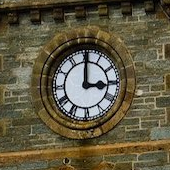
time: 3:00
